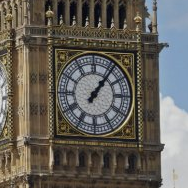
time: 1:06
